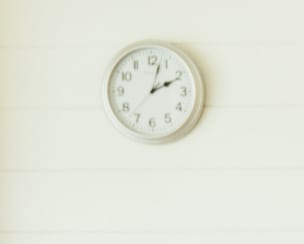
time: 2:02
